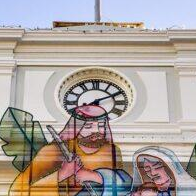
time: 8:10
